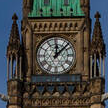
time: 12:07
